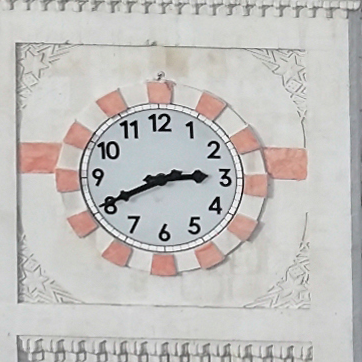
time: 2:40
